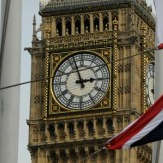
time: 2:56
